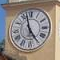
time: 4:57
